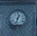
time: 12:32
